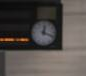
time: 12:18
